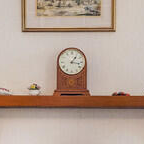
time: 1:16
